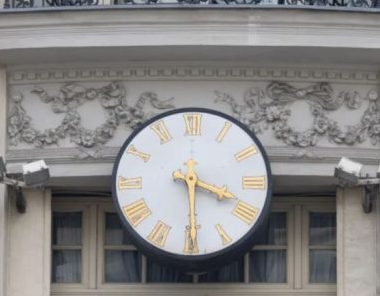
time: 3:29
